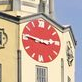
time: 2:46
